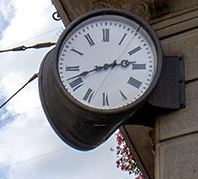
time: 2:41
